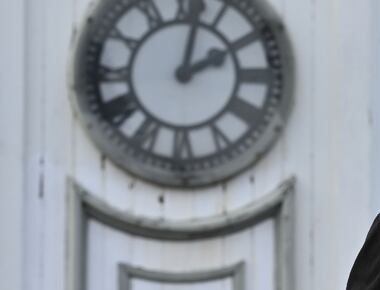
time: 2:01
